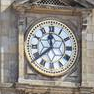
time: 11:38
